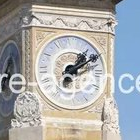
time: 1:09
